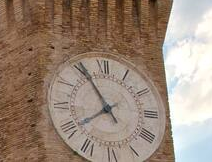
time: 7:55
